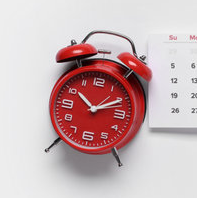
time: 10:10
